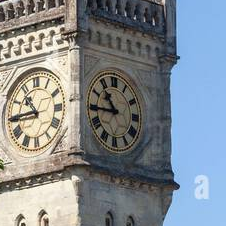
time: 10:44
